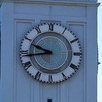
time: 9:43
